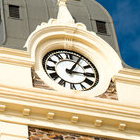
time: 3:04
